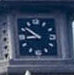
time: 8:51
